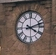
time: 4:12
